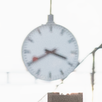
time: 3:40
